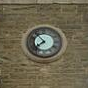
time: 7:53
